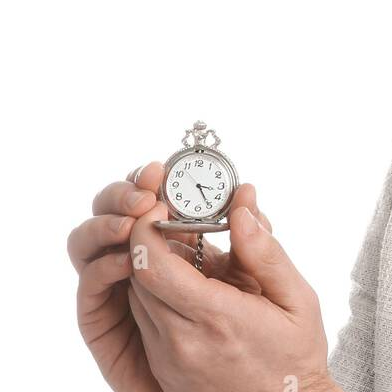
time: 3:24
